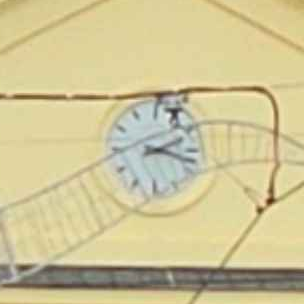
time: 2:18
